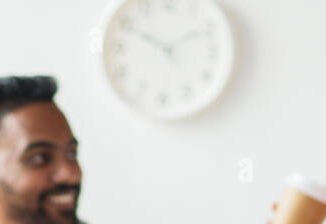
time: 1:49
